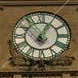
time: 7:04
